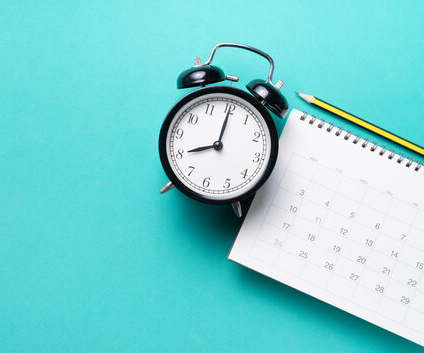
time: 8:00
